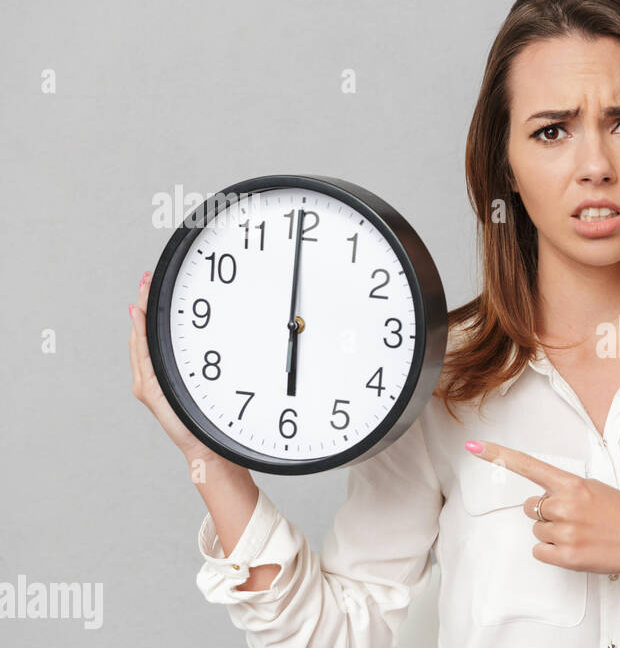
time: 5:59
